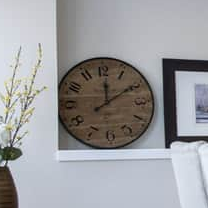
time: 12:09
